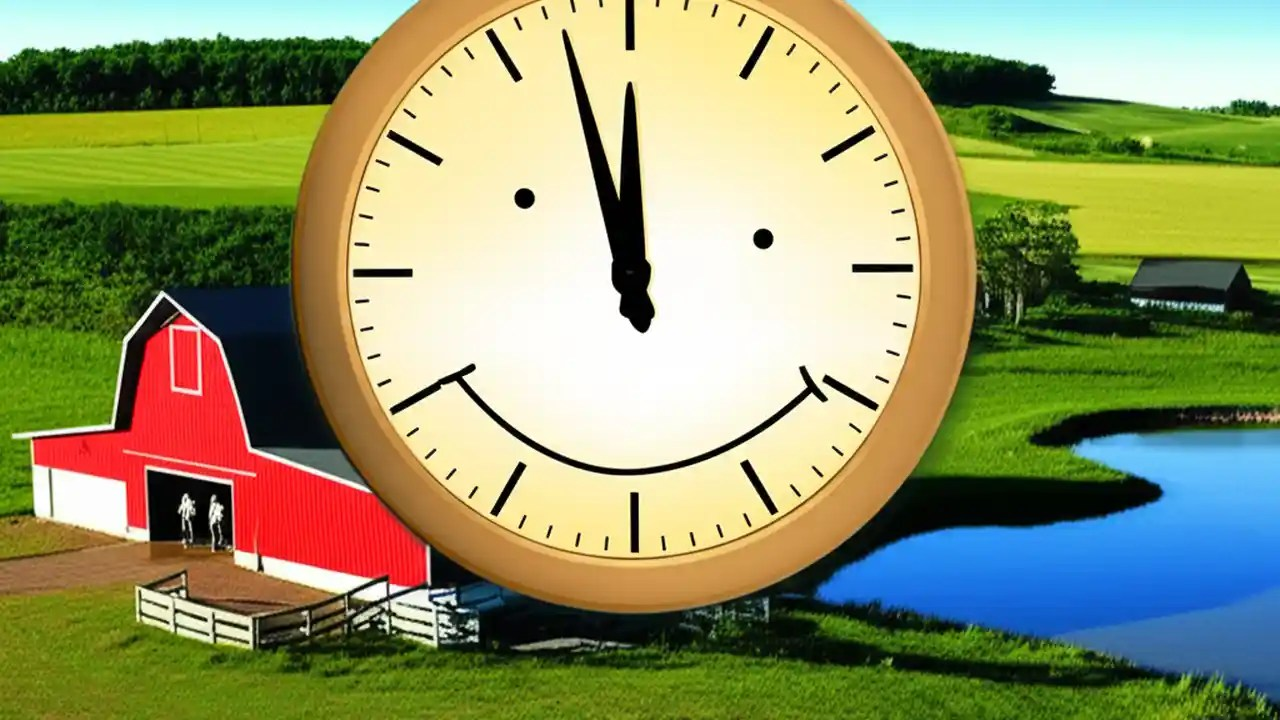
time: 11:57
